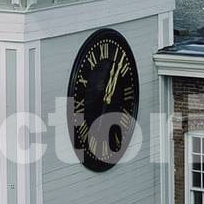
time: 1:07
